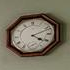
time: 4:11
